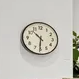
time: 10:30
